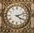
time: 4:12
